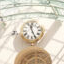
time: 11:25
